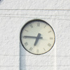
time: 6:45
